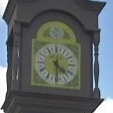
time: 4:29
